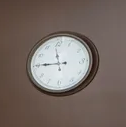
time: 11:45
